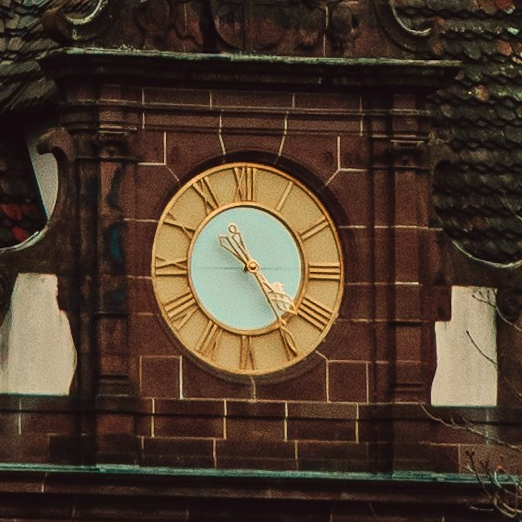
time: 10:24
